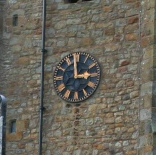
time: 2:58
